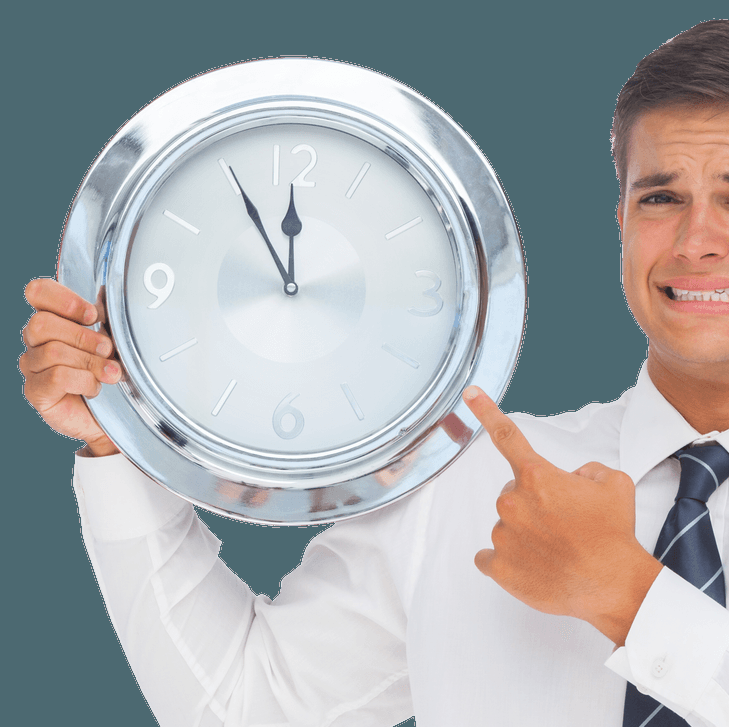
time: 11:55
